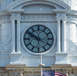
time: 9:50
